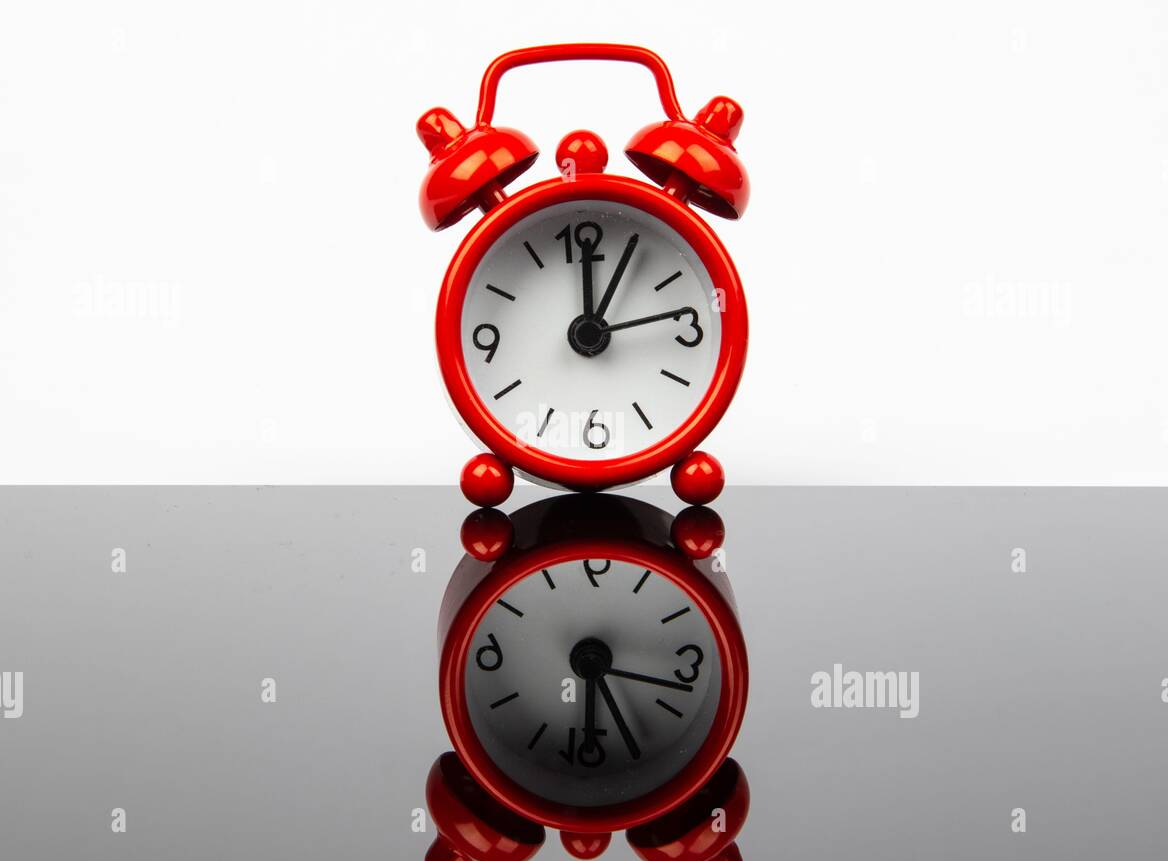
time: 12:05
